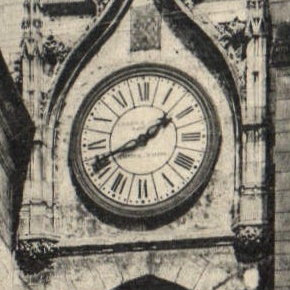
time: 1:41
